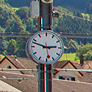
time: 2:47
